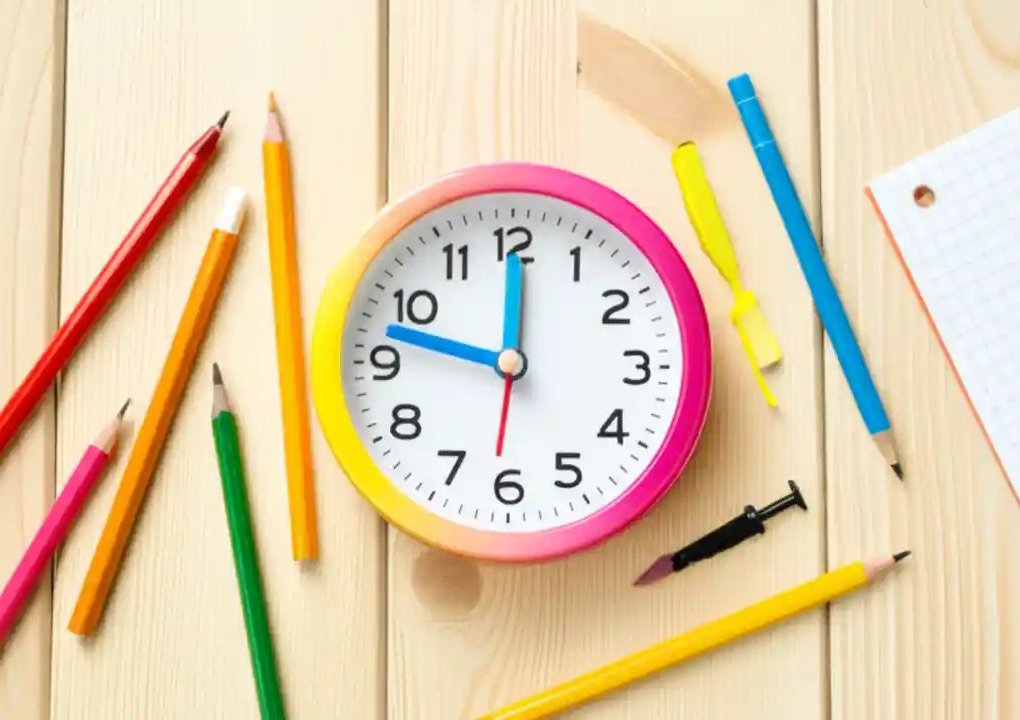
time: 11:47
